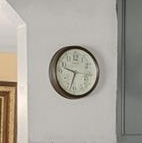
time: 9:33
